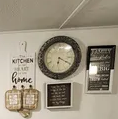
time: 6:19
